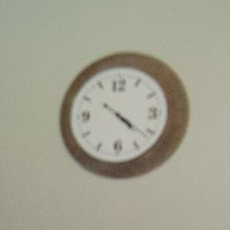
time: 4:21
